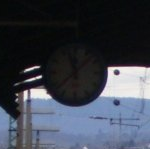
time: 11:37
